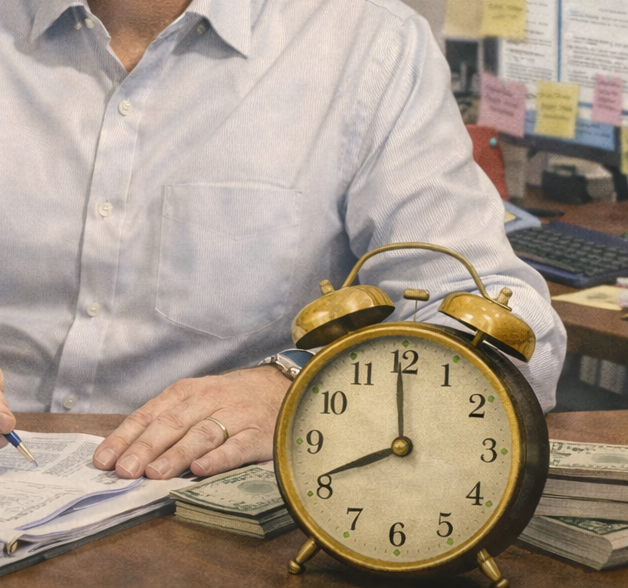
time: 7:59
